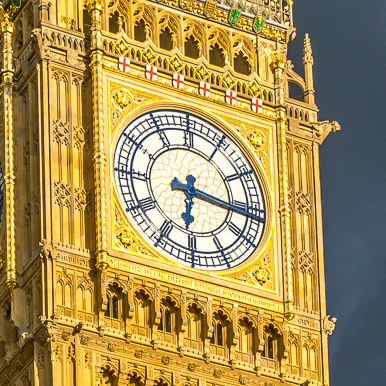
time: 6:16
